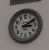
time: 3:09
